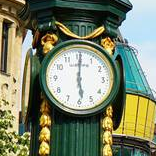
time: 6:00
